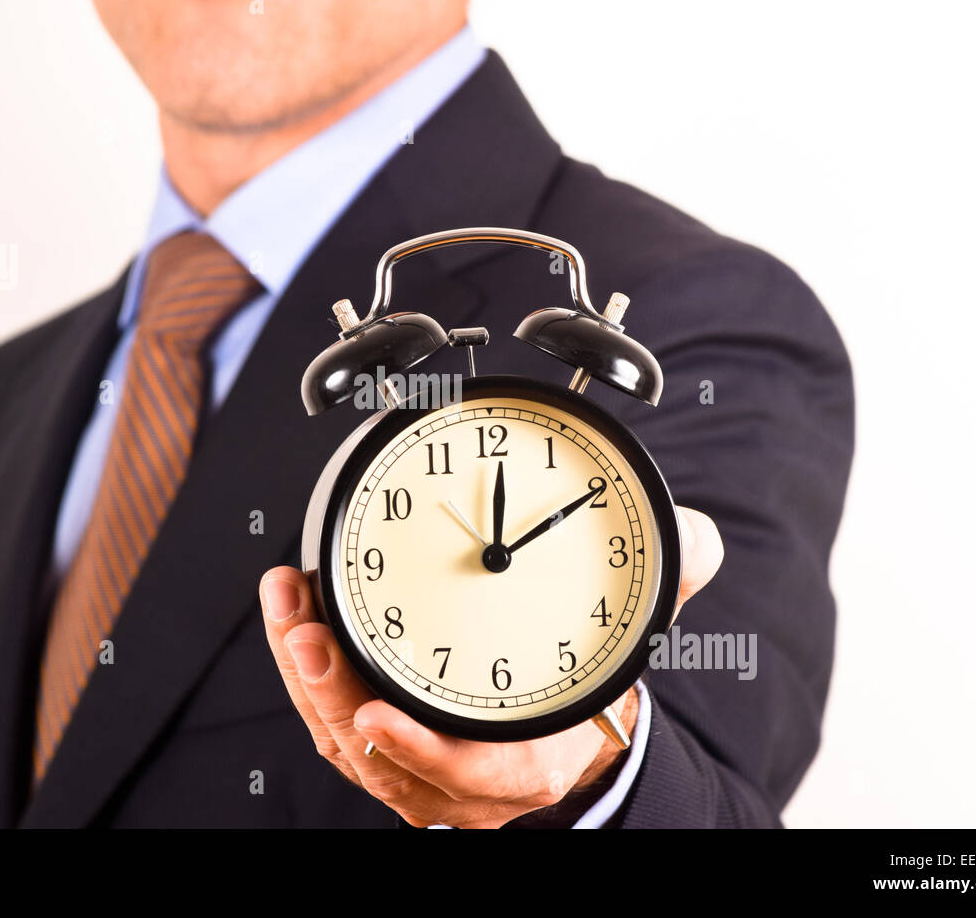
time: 12:09
